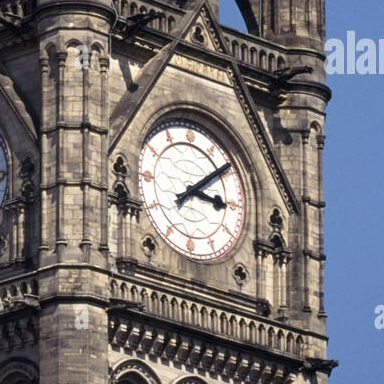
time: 3:09
